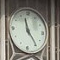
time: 11:24
